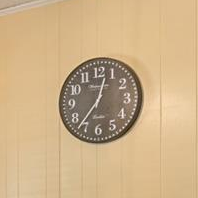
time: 12:36
